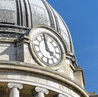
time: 3:58
